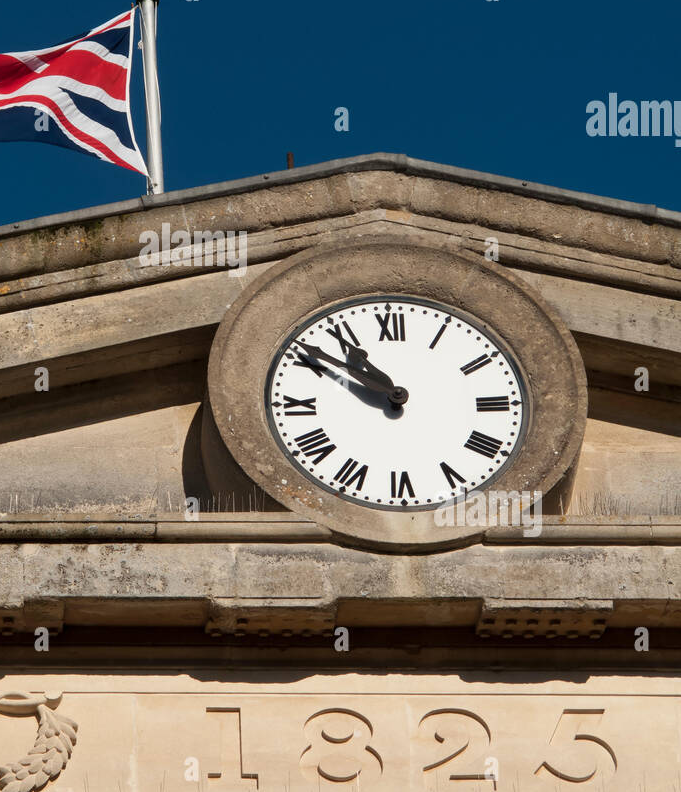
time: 10:50
